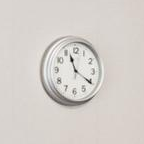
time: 11:20
